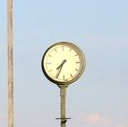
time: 7:34
